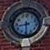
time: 8:29
